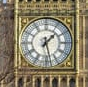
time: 1:28
